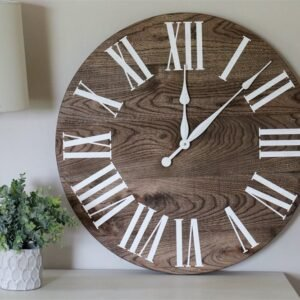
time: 12:07
